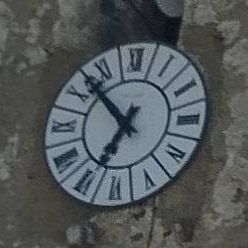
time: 6:52
